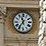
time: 11:36
